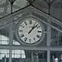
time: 1:07
